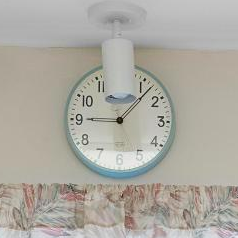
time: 9:07
